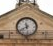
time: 11:39
